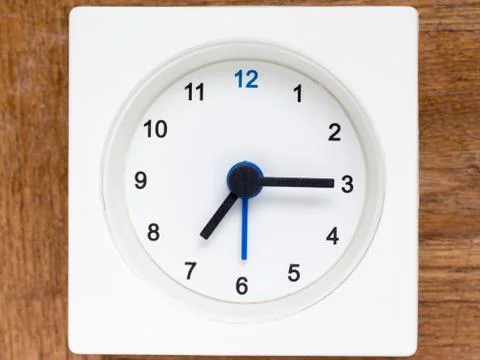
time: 7:15
